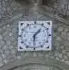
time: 1:30
